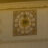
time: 5:59
